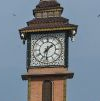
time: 1:31
